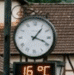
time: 1:18
